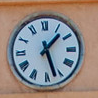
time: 1:27
